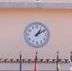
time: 1:09
